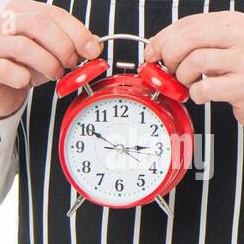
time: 2:50
